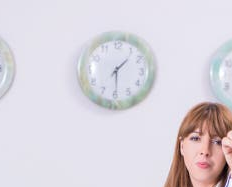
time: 1:29
